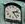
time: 2:23
